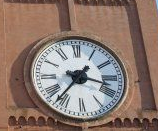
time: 3:36
